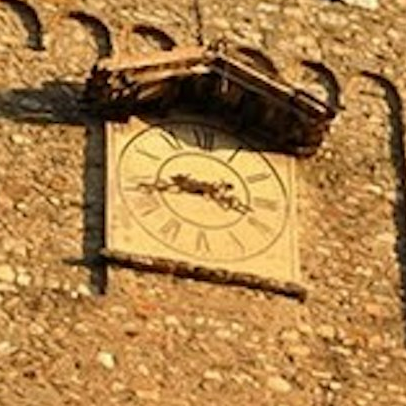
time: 3:43
